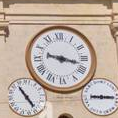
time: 9:17
